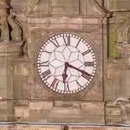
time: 6:18
